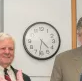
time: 4:31
